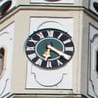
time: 6:20
